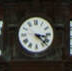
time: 3:22
